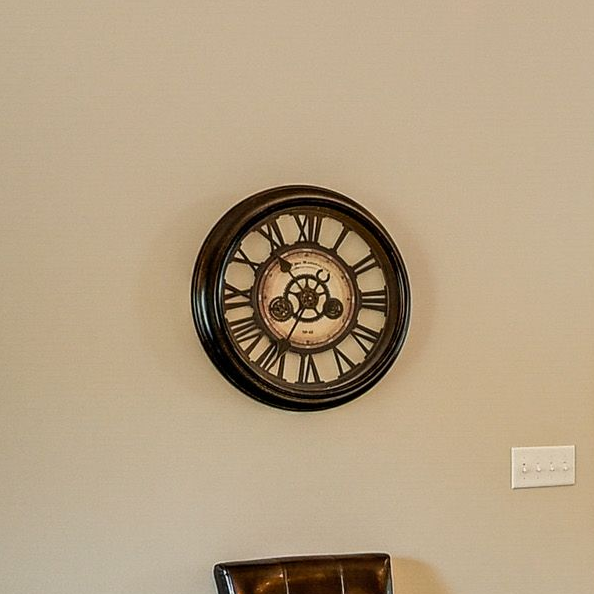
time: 10:34
